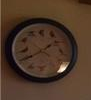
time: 1:40
